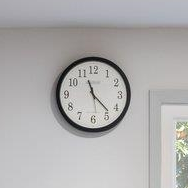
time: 11:22
